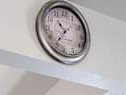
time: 10:36
